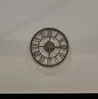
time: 6:14
